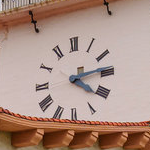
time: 4:13
